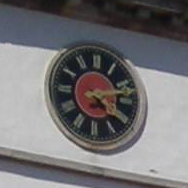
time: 4:12
